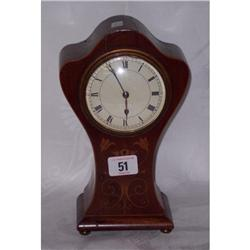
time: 5:55
